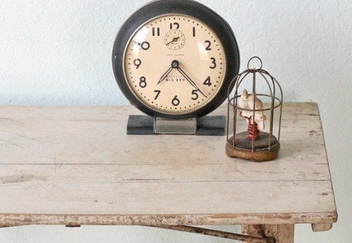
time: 7:22
